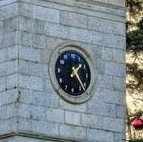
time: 1:23
